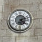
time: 4:12
